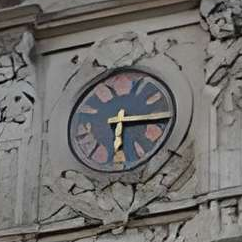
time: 6:15
